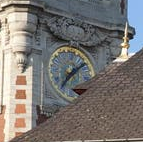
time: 1:36
